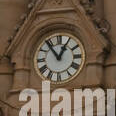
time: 12:53
